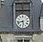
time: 5:42
